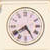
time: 4:39
